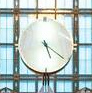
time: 5:20
